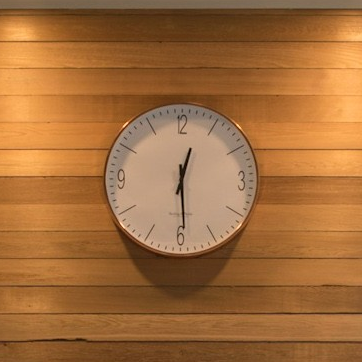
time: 12:29
